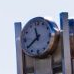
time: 11:39
